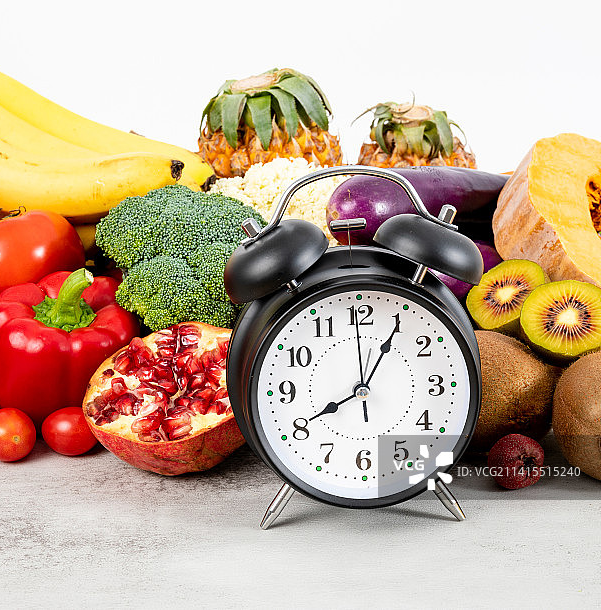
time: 8:05
